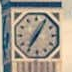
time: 7:05
